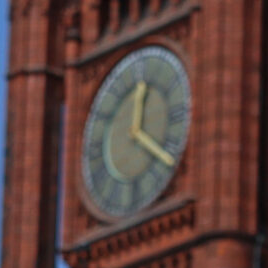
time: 12:21
